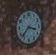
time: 3:37
